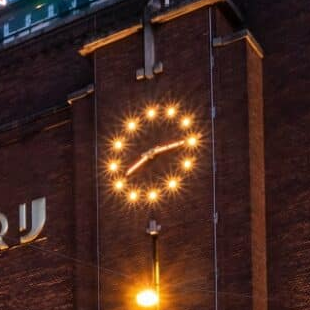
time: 8:14
